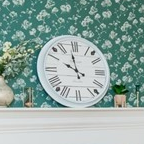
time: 9:58
